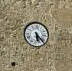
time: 5:22
